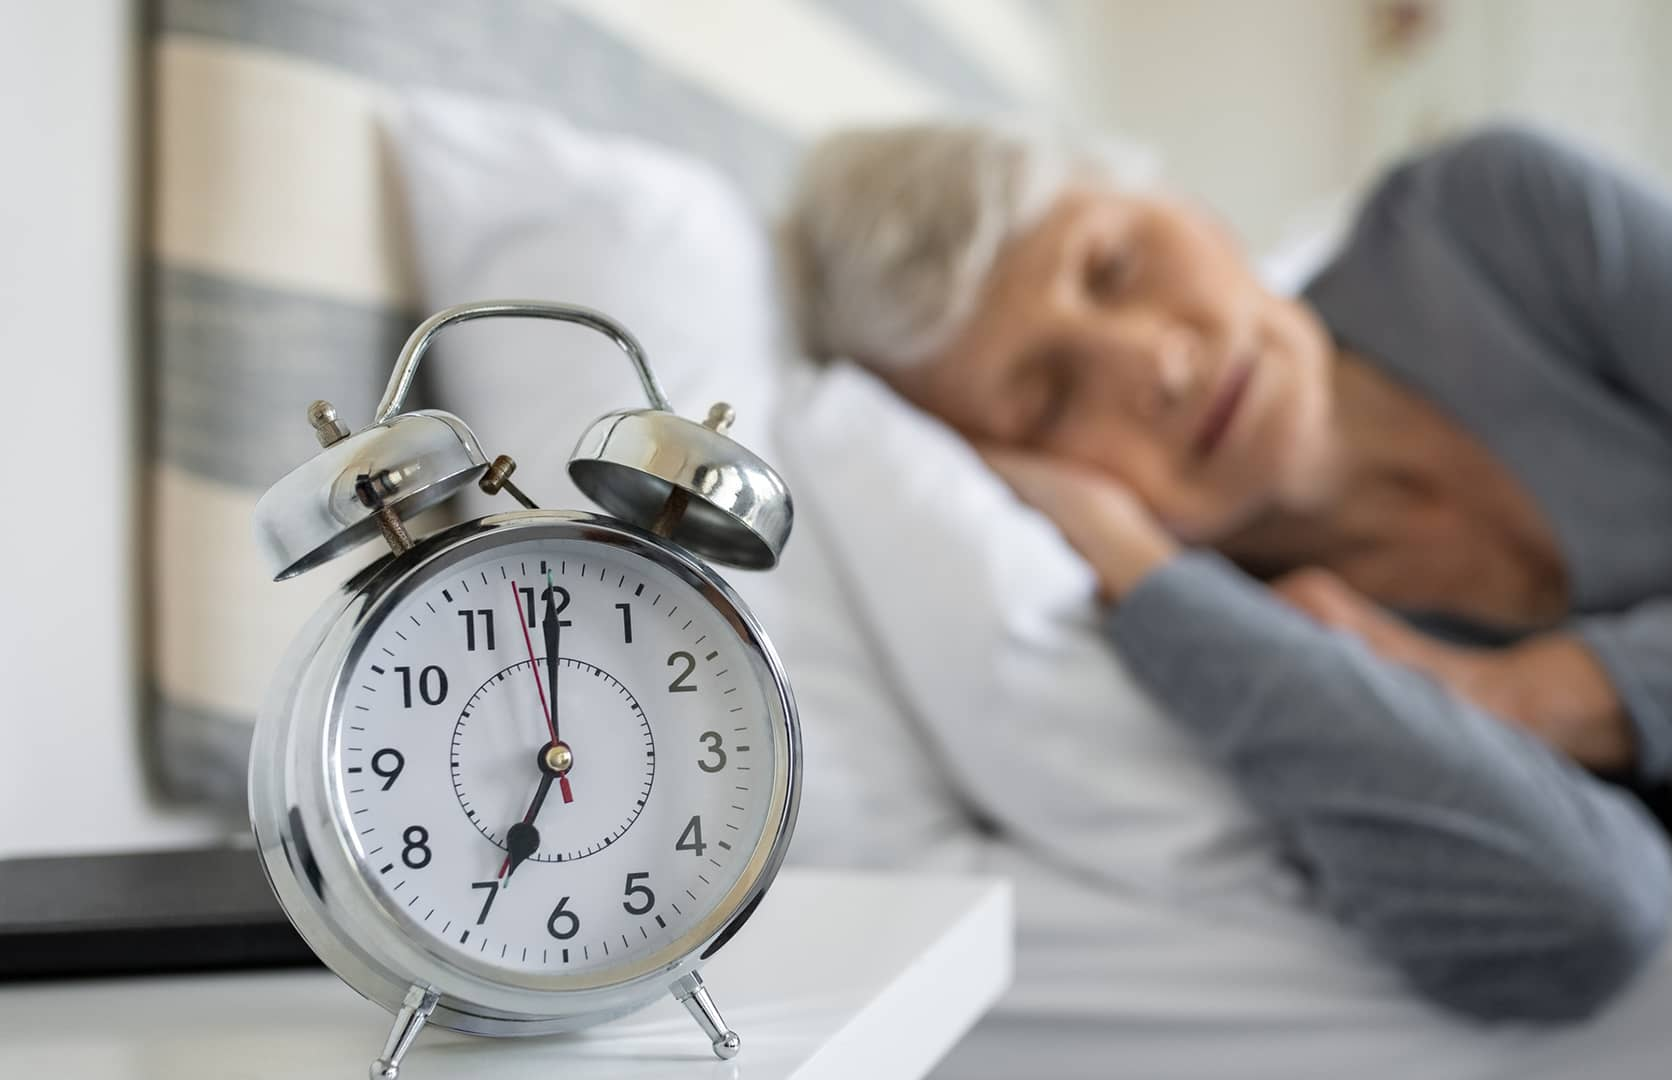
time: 7:00
